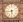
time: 5:44
